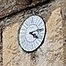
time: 4:13
